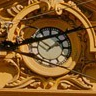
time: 1:50
